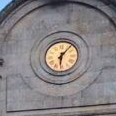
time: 6:06
